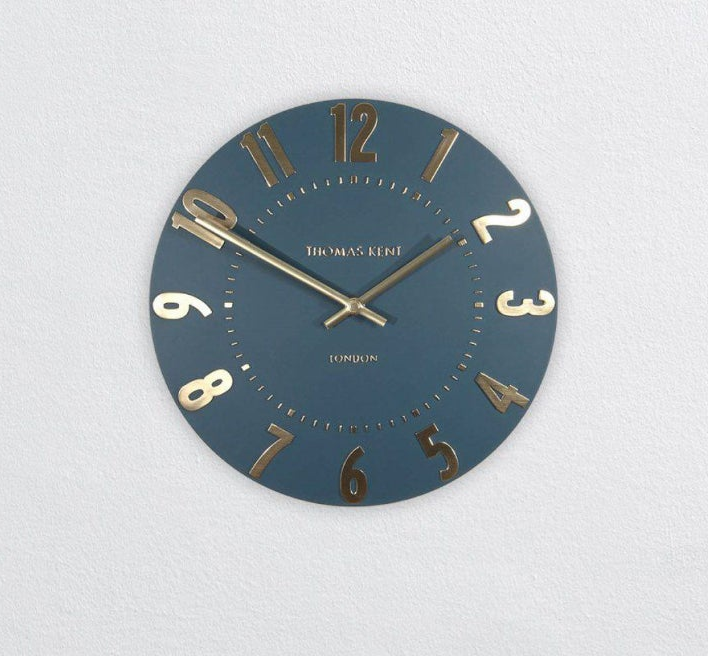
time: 1:50
